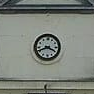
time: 3:41
